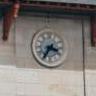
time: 3:35
